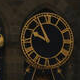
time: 9:55
